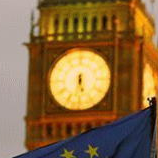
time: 5:31
